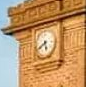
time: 5:38
